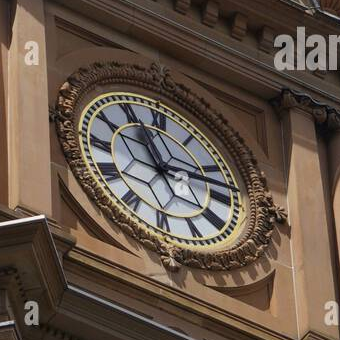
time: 11:12
